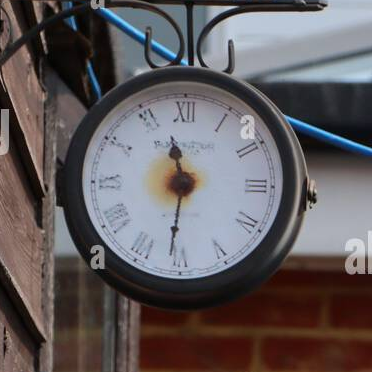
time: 11:31
